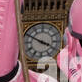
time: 3:49
